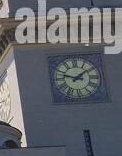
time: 1:47
